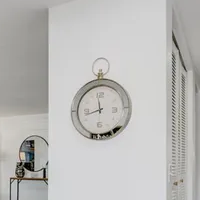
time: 11:42
